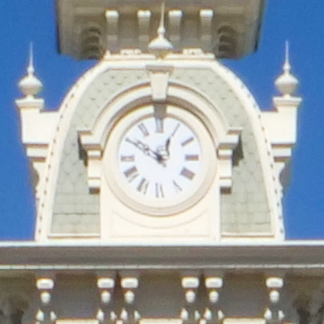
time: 12:50
